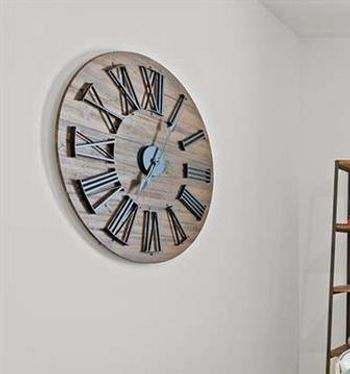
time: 7:04
